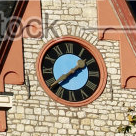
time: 1:39
